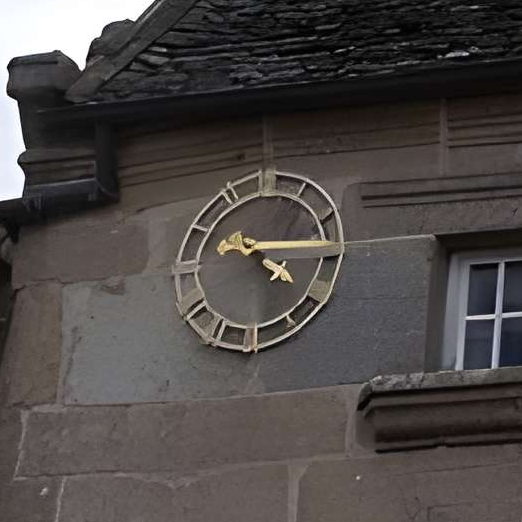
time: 4:14
